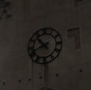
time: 10:41
